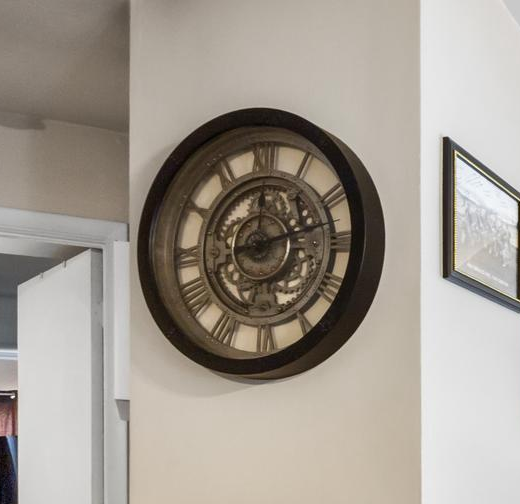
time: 12:13
